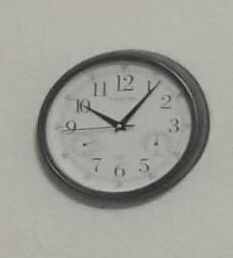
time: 10:06
